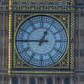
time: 12:45
